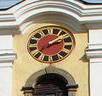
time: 2:08
